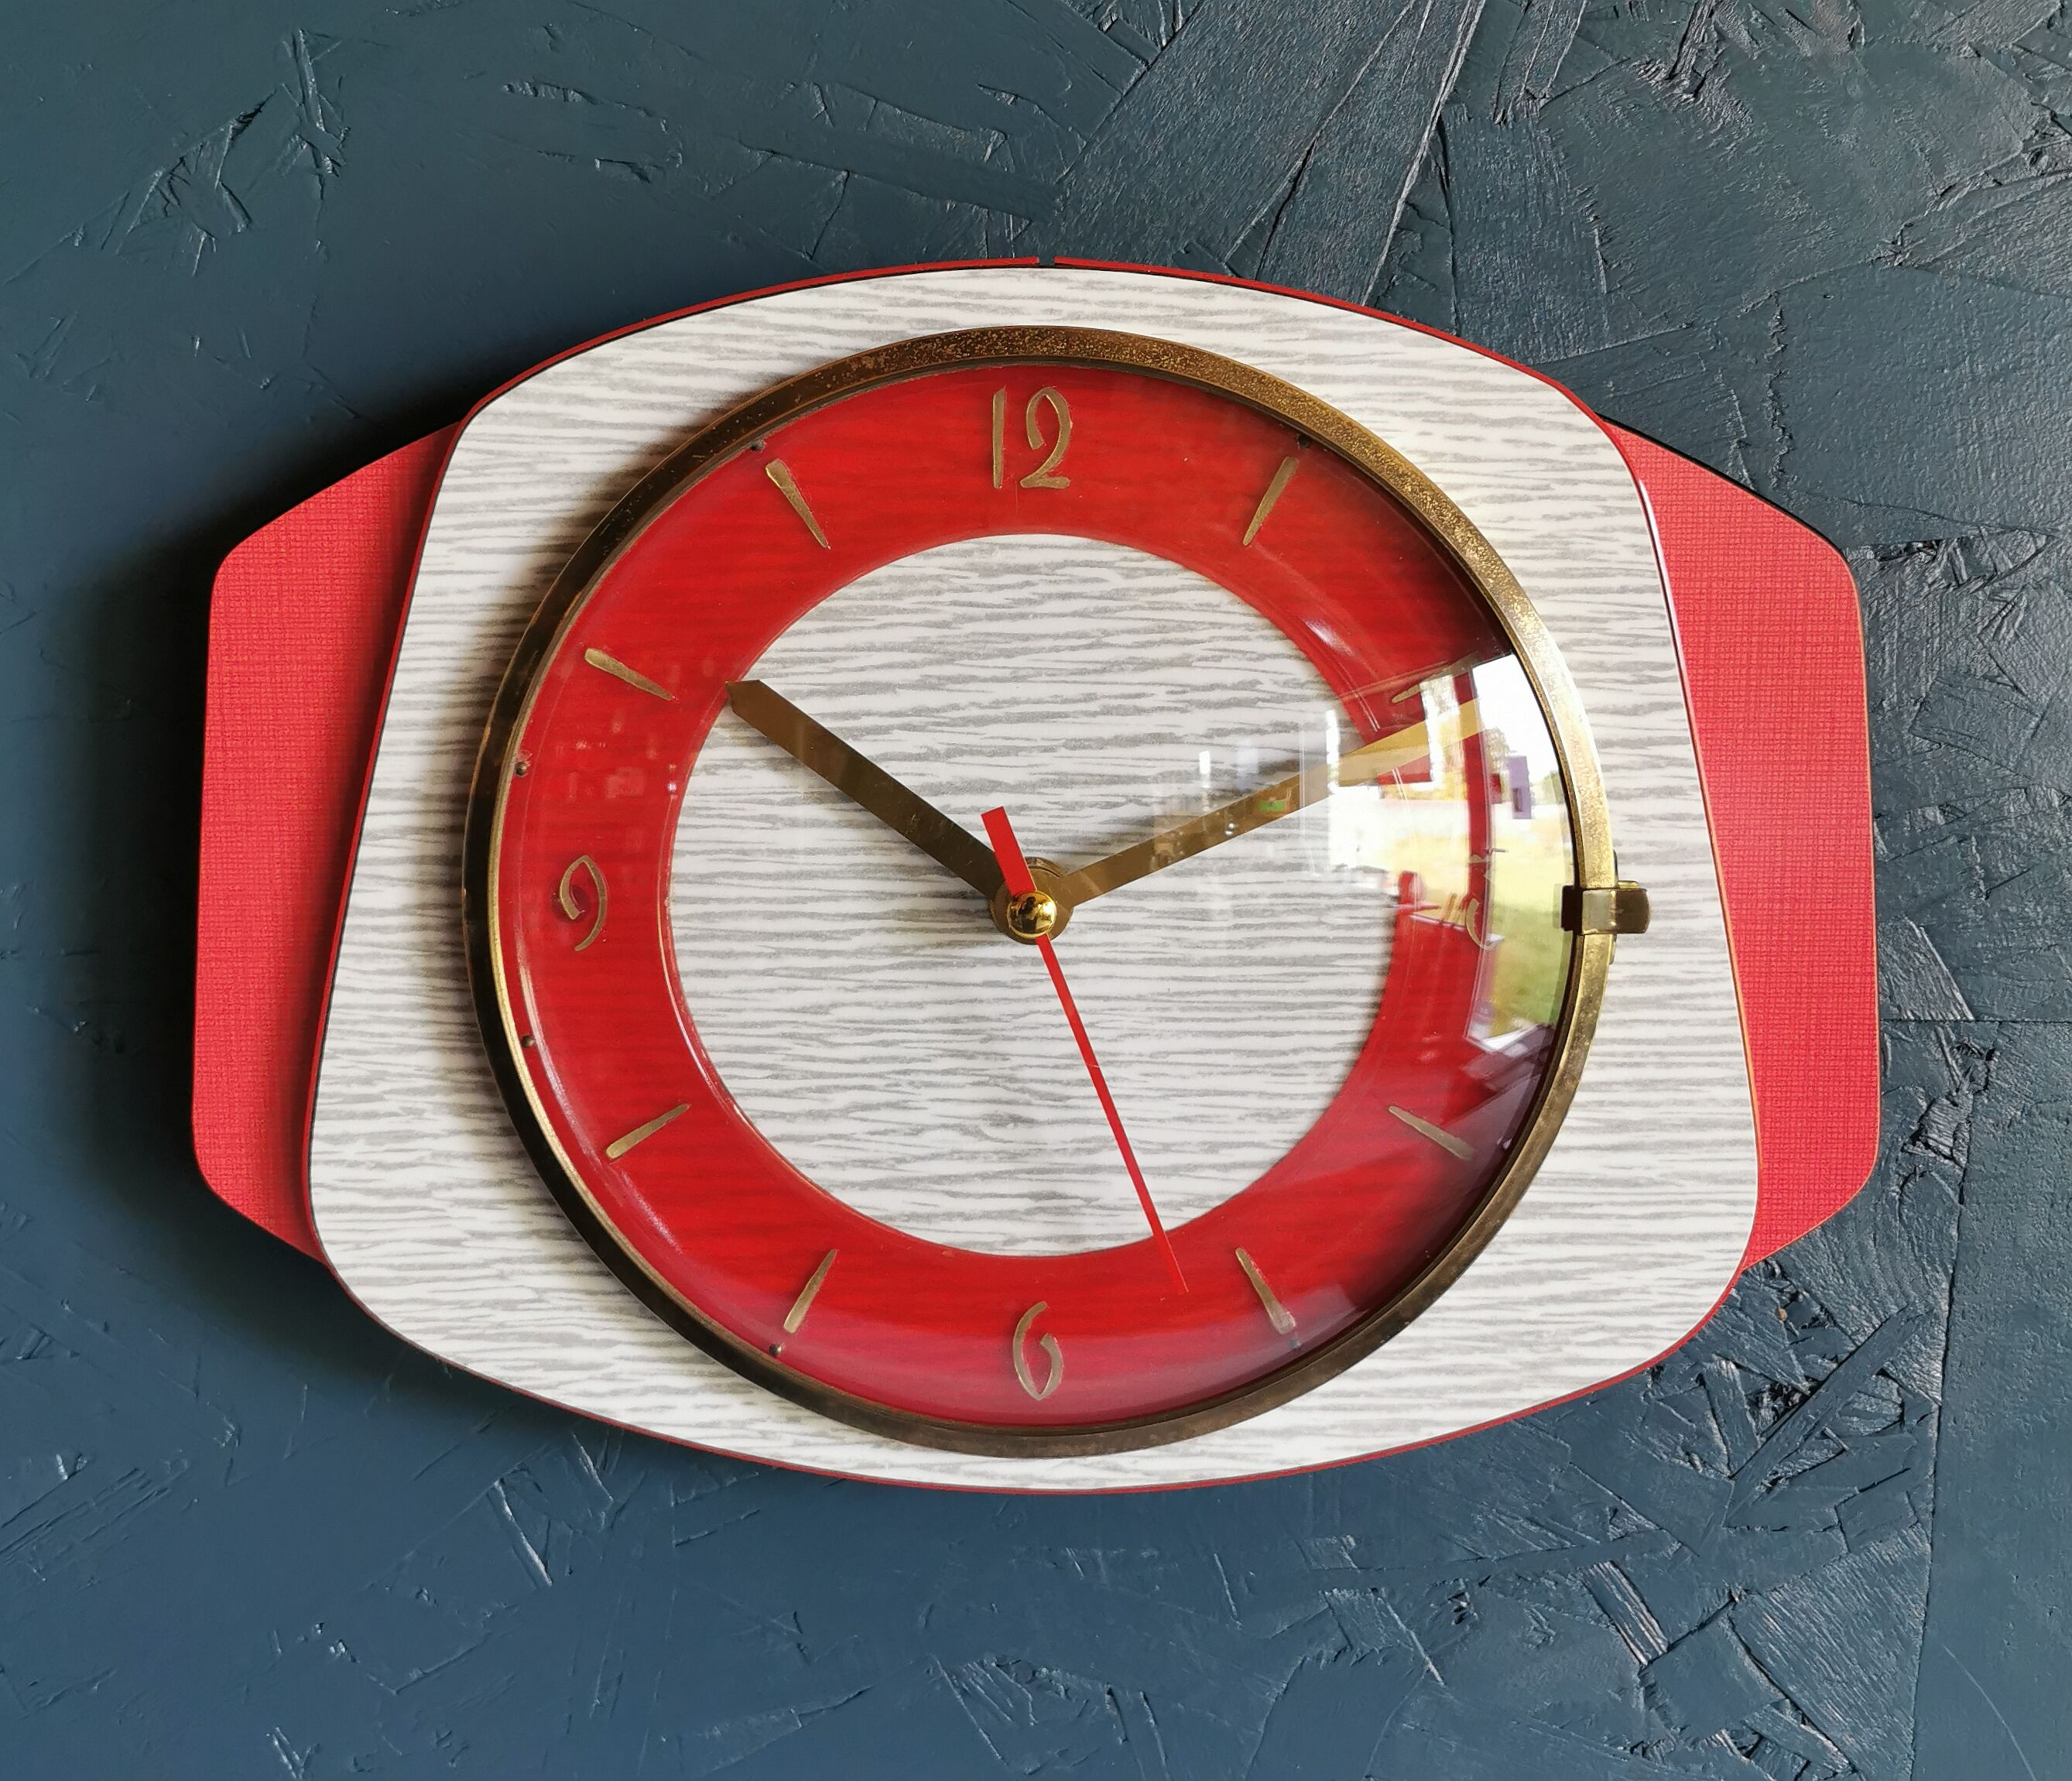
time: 10:11
